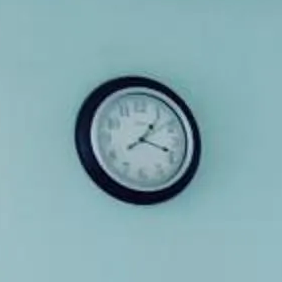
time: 1:18
